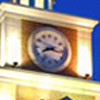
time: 8:16
